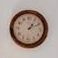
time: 1:10
